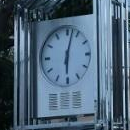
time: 6:02
